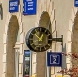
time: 12:52
